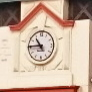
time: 10:45
